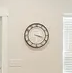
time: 3:18
